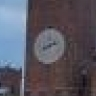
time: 8:12
